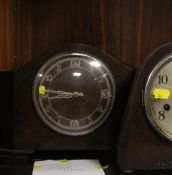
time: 8:46
